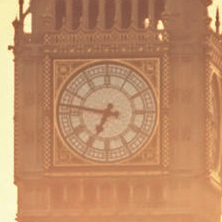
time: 6:47
